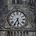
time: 5:35
